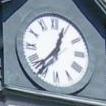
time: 12:37
